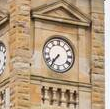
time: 7:36
